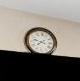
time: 7:47
